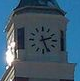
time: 2:26
